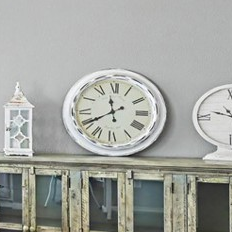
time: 11:40
